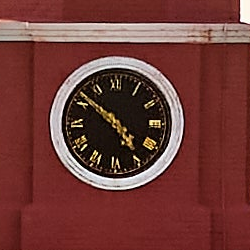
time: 4:51
